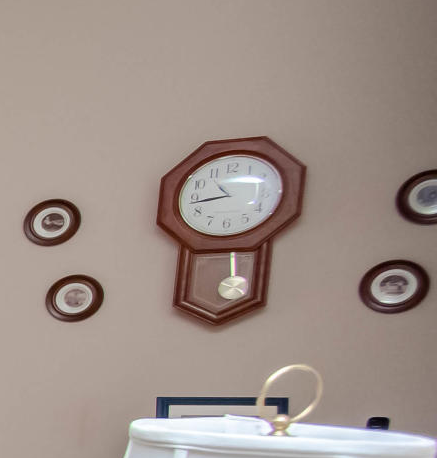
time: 10:43
